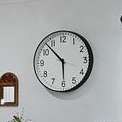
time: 5:52
